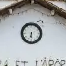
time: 6:29
